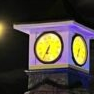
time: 6:34
